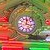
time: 12:16
